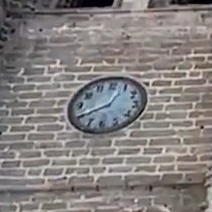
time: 12:40
